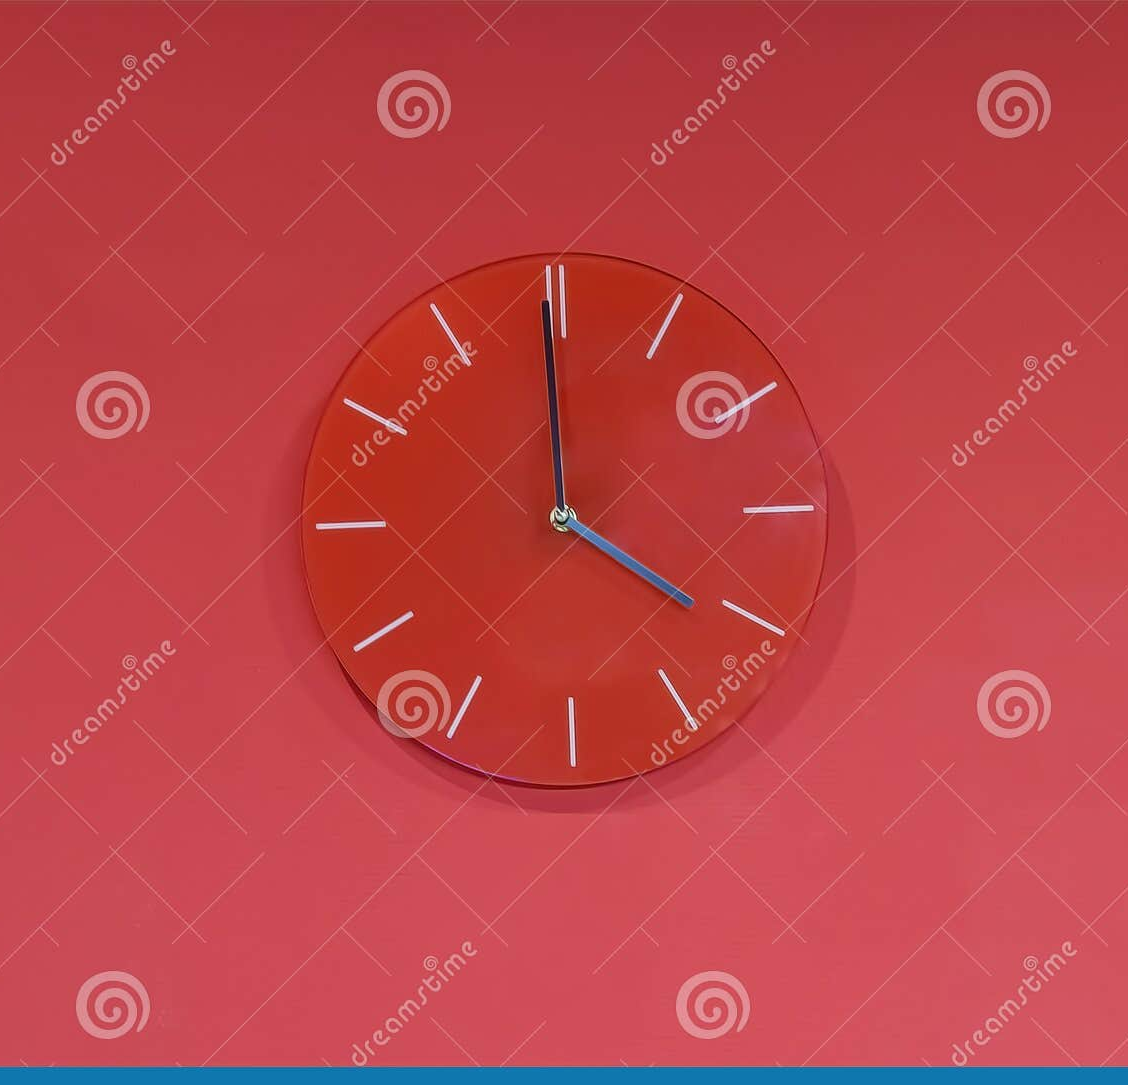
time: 3:59
